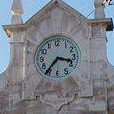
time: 3:36
